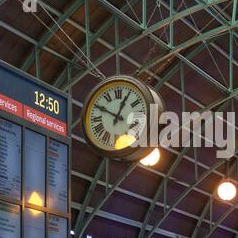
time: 12:49
